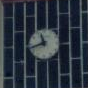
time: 11:42
